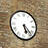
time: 5:22
